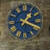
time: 1:18
